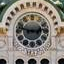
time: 2:48
